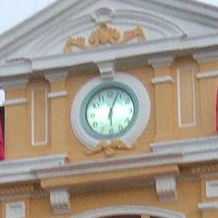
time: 6:03
